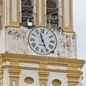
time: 11:26
